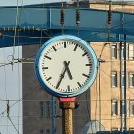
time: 5:34
